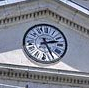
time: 2:25
